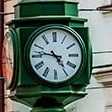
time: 4:46
